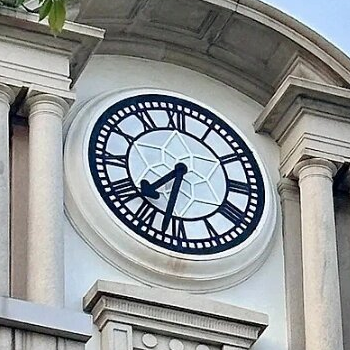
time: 7:32
